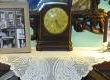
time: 4:42
